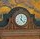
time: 12:22
